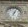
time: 7:04
